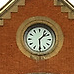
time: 1:29
